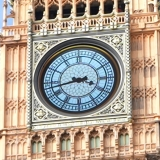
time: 3:42
